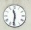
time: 11:31
